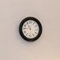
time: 10:45
